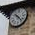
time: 10:23
